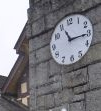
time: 11:15
